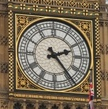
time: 2:23
